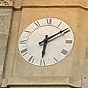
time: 6:09
